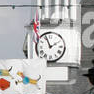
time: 1:56
